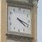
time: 4:18
